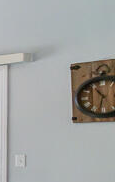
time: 10:32
